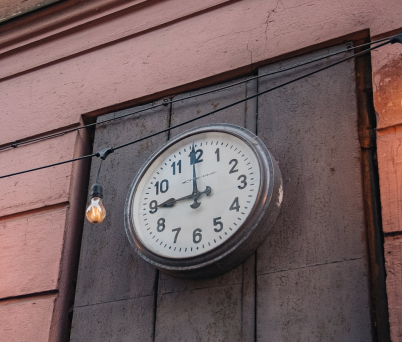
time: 8:59
